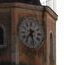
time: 7:28
